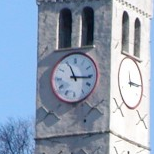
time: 11:15
